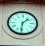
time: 1:31
